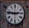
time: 2:46
